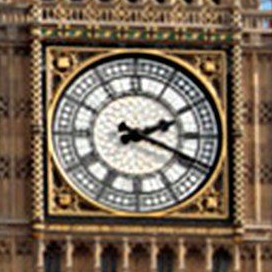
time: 2:18
